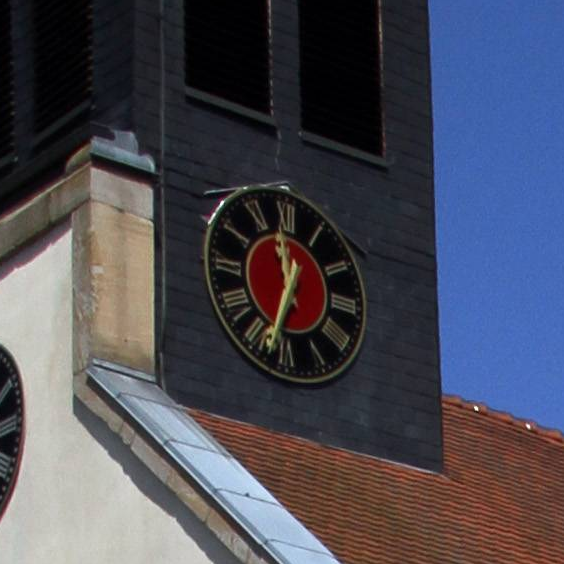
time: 11:33
